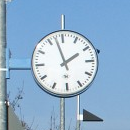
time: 1:57
